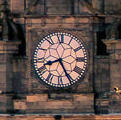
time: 8:25
